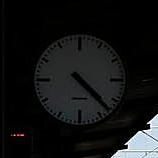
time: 4:22
